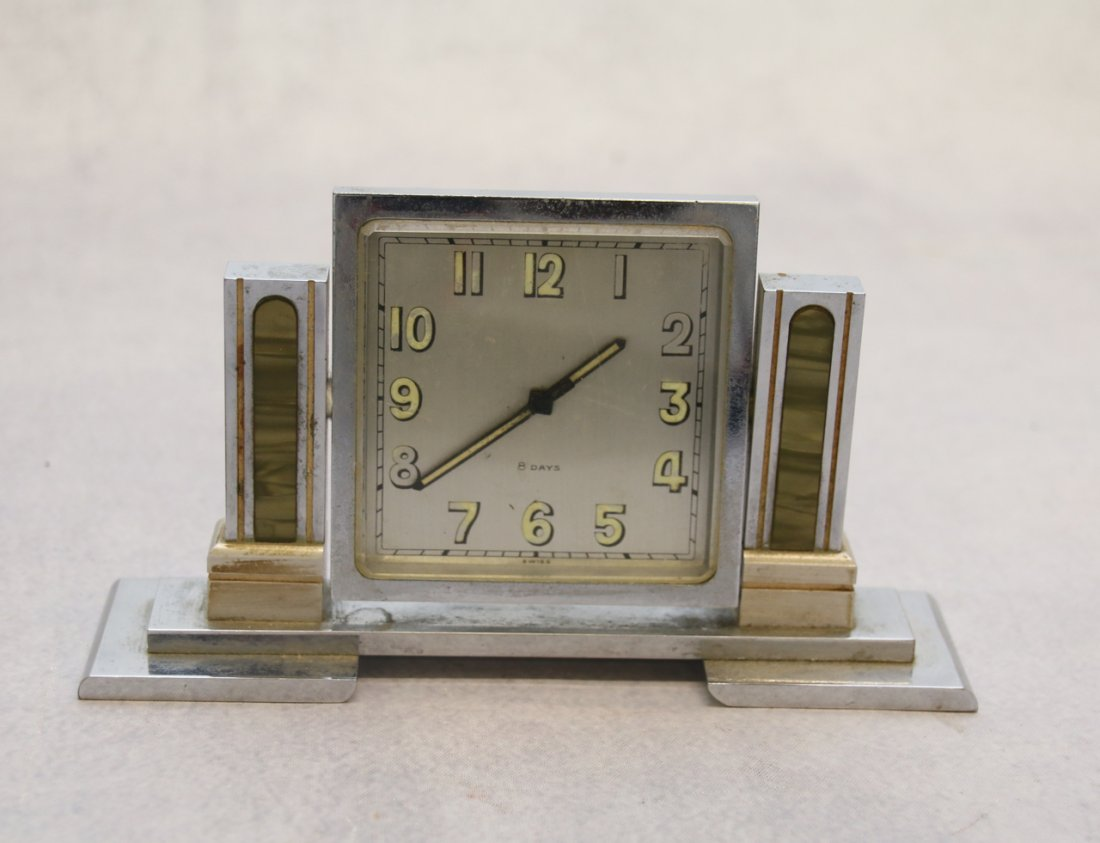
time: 1:39
